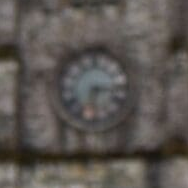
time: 6:15
